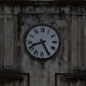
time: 8:25
